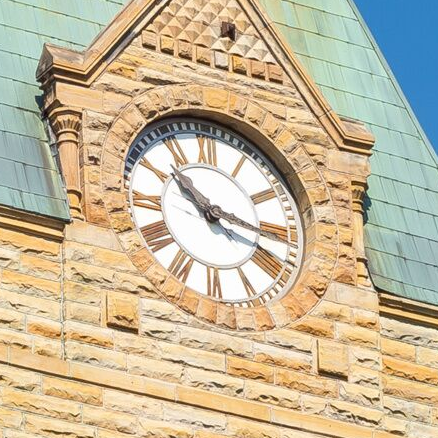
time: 10:17
